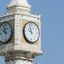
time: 9:57
